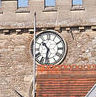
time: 10:32
